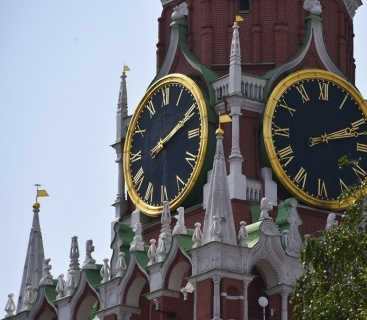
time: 2:11
